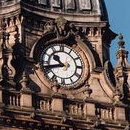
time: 10:42
